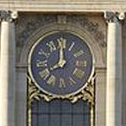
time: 7:59
